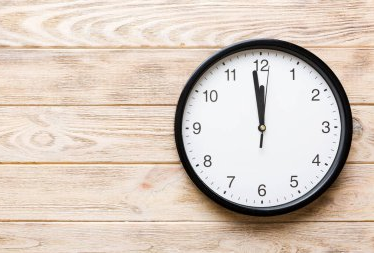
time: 11:58
